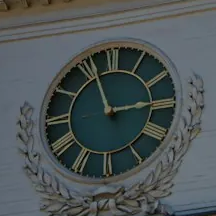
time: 2:56
